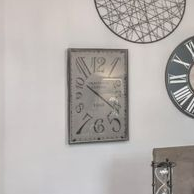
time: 10:20
